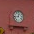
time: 12:43
